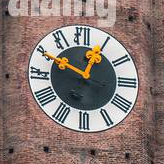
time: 12:49
